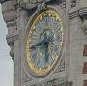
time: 5:43
